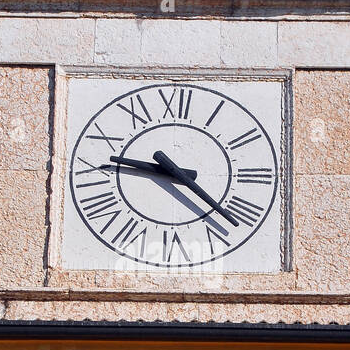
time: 9:22
